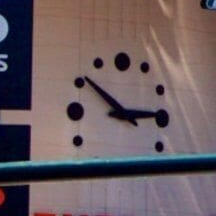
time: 2:51
